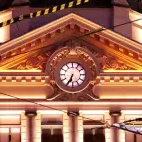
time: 6:34
